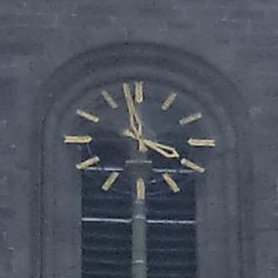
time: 3:58
